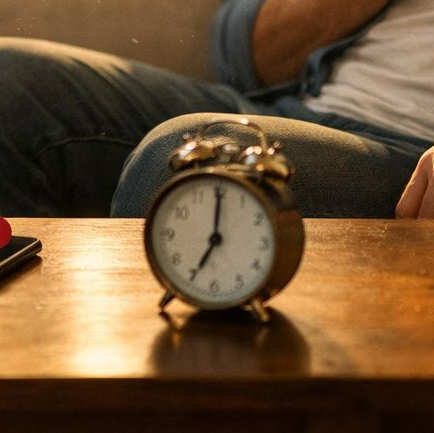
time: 7:00
